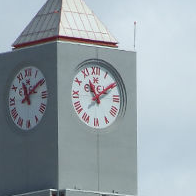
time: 11:09
